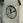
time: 12:11
